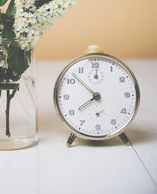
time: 7:52
